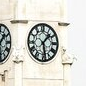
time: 1:28
